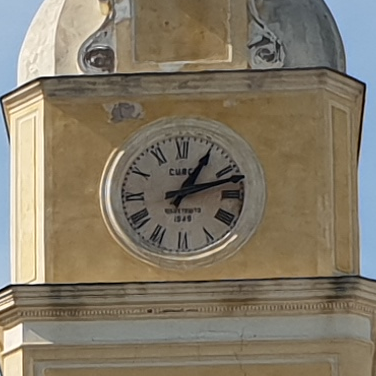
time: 1:12
